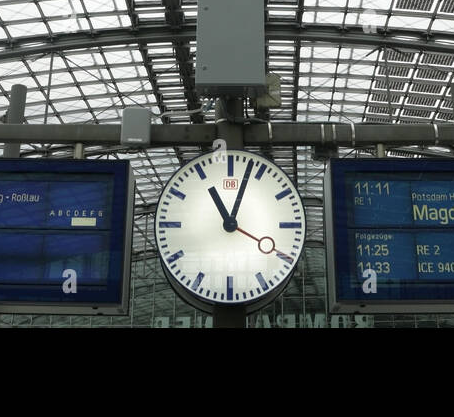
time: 11:03
